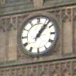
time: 1:07
